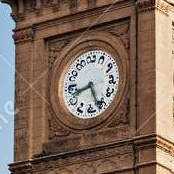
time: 8:26
